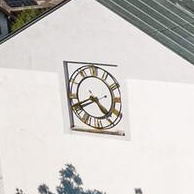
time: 4:41
